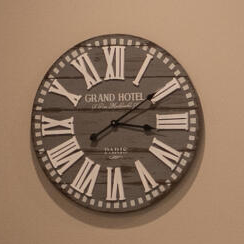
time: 3:09
